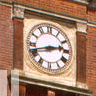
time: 2:42
